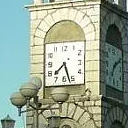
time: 7:27
